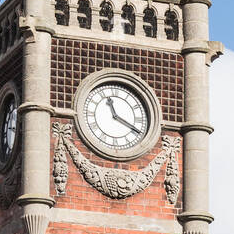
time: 11:19
